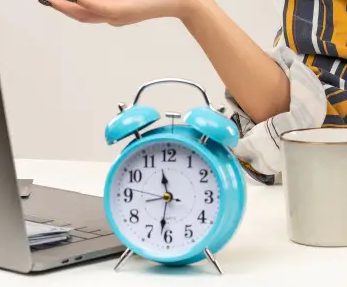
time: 11:31
